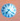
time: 7:21
